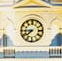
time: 7:44
